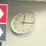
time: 12:16
